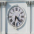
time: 4:33
